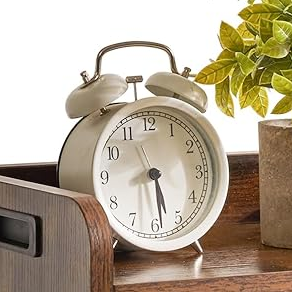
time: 5:29
